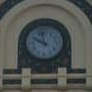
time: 9:57
